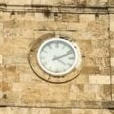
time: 4:11
